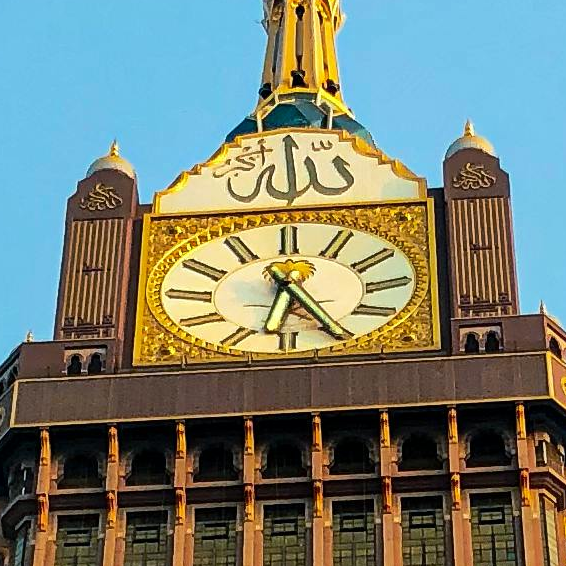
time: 6:25
